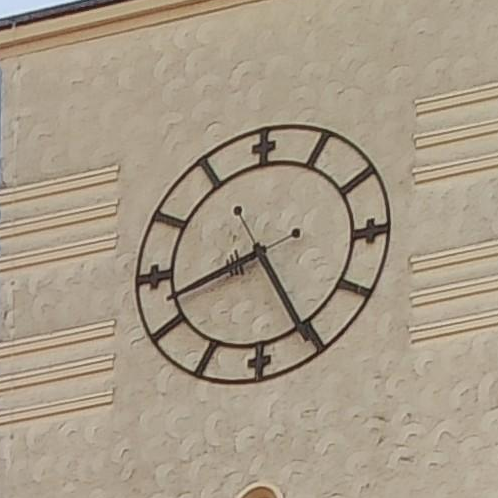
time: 8:25
